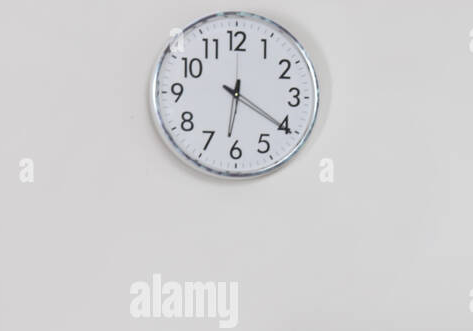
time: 6:20
